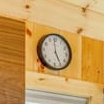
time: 4:58
